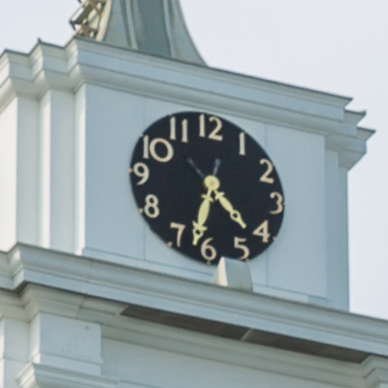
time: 4:32
